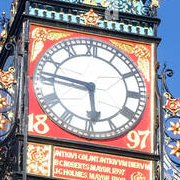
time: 5:46
